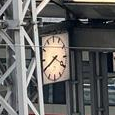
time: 3:40
